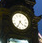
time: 4:34
